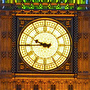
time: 9:44
